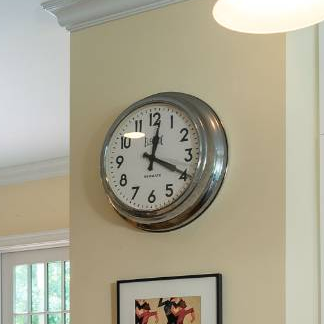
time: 12:19
